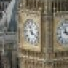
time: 11:19
